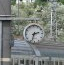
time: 2:33
